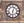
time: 6:03
